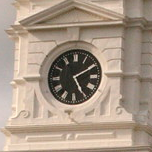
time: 5:10
